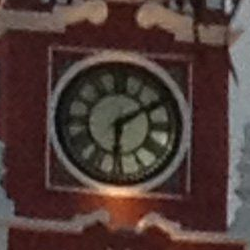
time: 6:10
